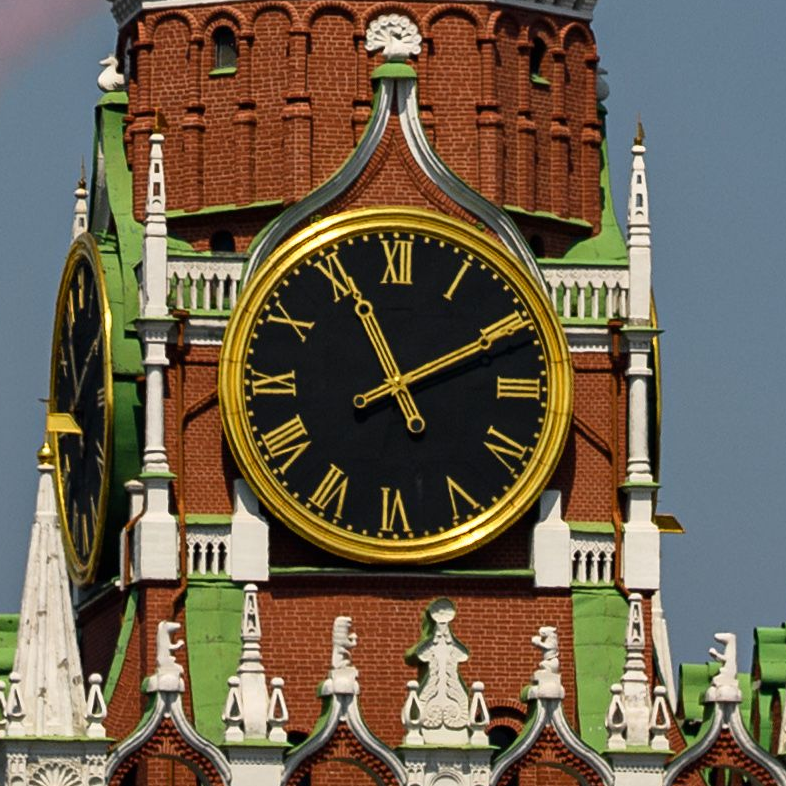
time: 11:10
